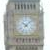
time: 10:07
